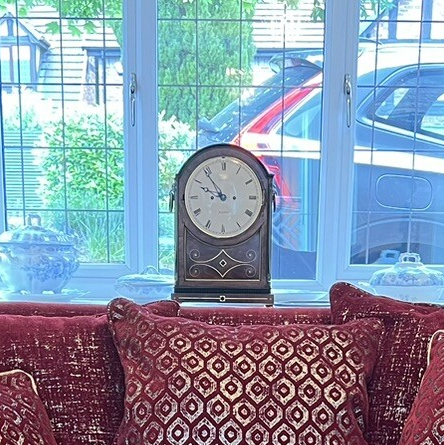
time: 9:53
